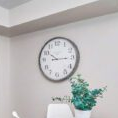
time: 10:14
